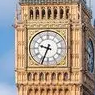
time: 9:34
